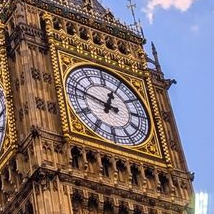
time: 12:47
